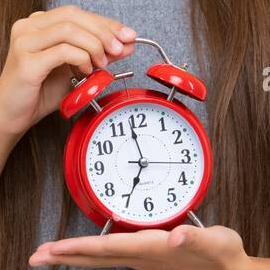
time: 6:58
